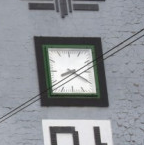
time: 8:20
